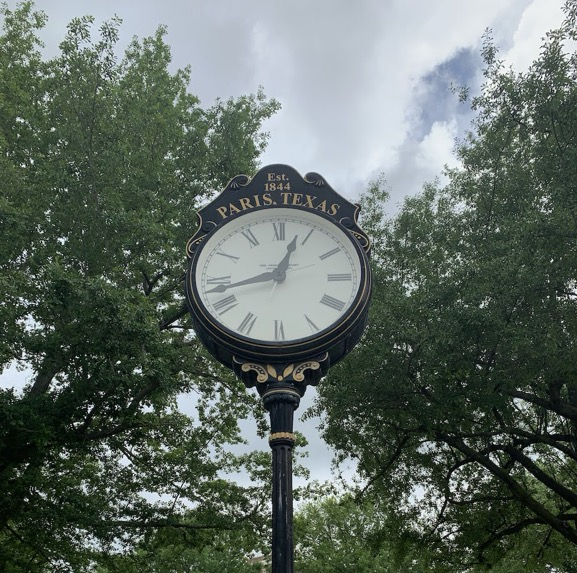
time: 12:42
